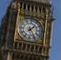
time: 1:24
